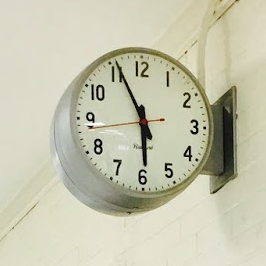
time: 5:55
